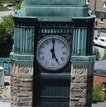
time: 5:00
